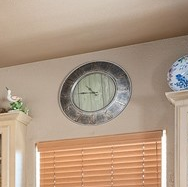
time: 10:45
